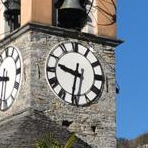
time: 9:31
